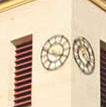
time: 3:48
